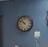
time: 10:51
